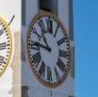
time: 10:45
